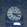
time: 4:14
